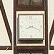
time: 8:18
